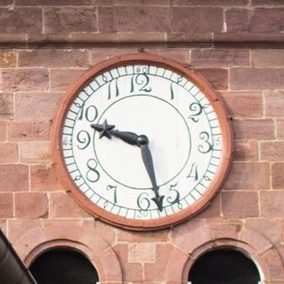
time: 9:27
